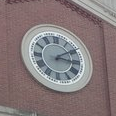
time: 3:09
